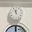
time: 11:55
